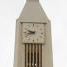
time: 9:42
